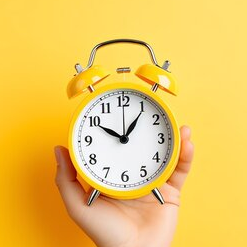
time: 10:05
